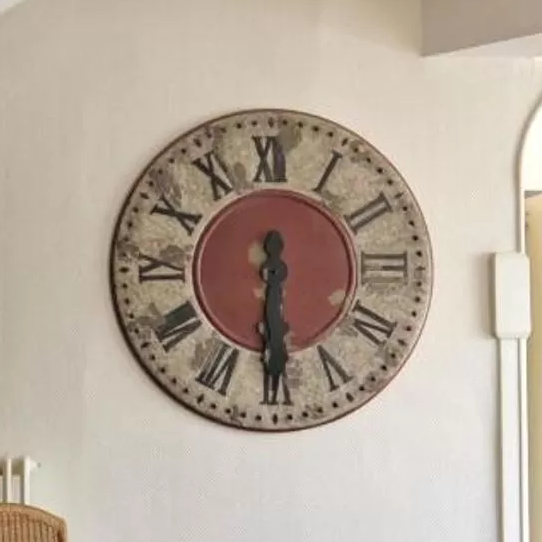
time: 6:30
